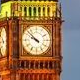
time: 9:52
